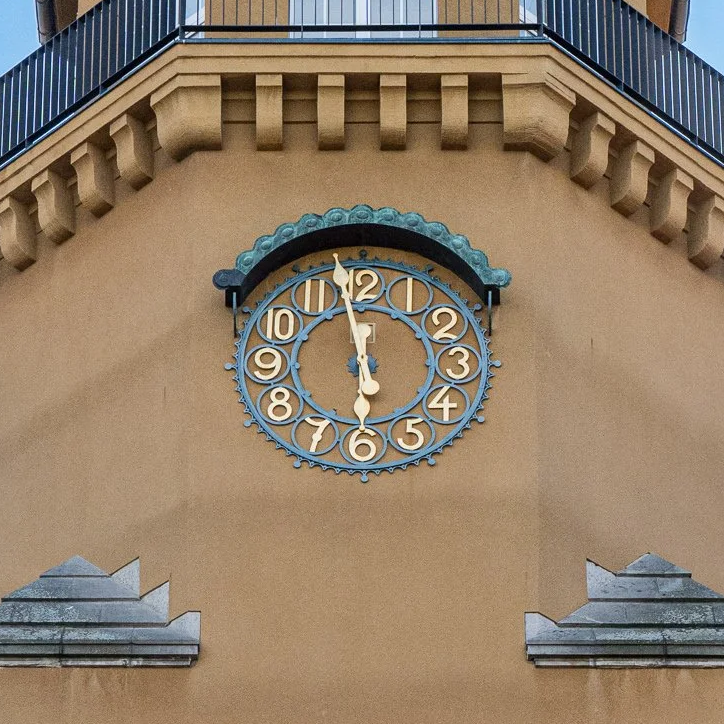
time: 5:58
